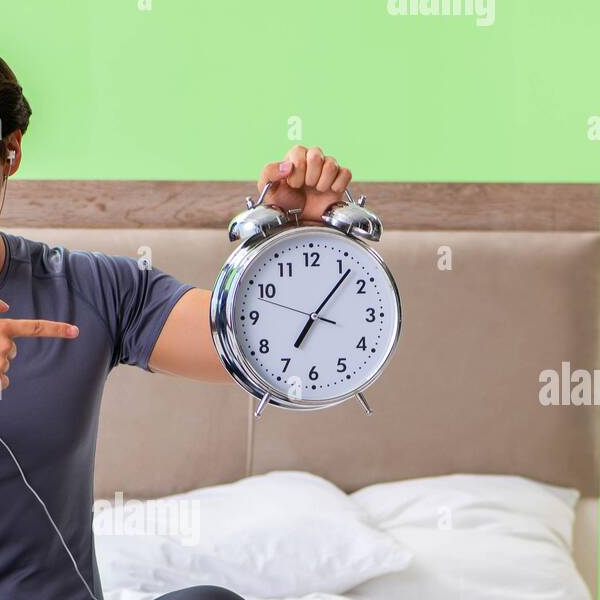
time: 7:06
